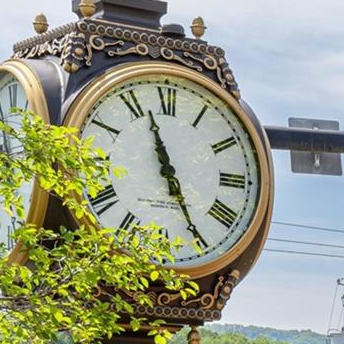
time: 11:25
